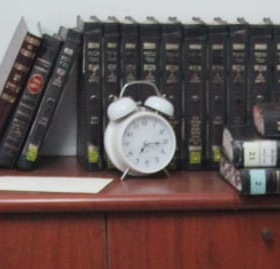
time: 7:15
